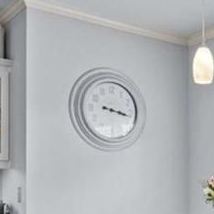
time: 3:17
